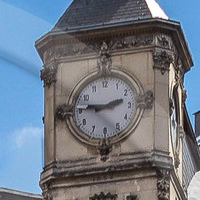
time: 9:12
